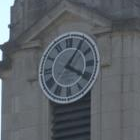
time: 4:05
